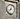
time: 7:03
